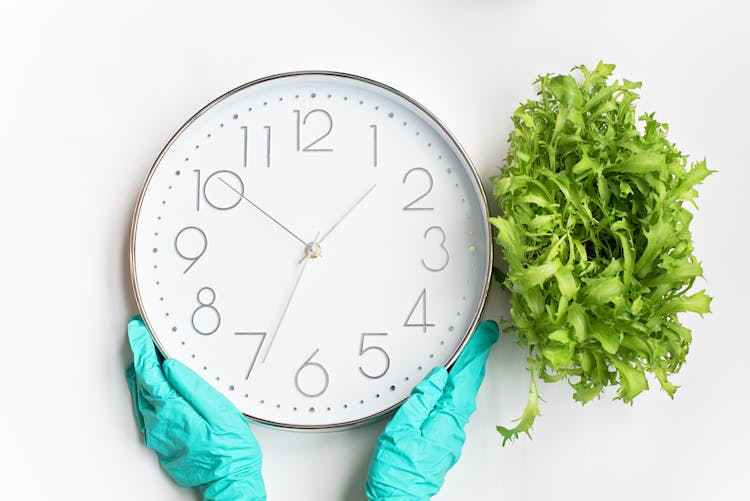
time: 1:33
